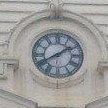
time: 8:09
